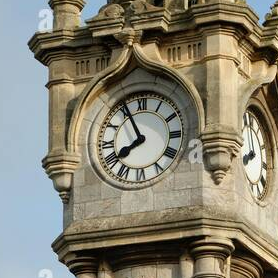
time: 7:55
